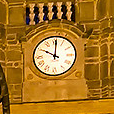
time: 10:00
